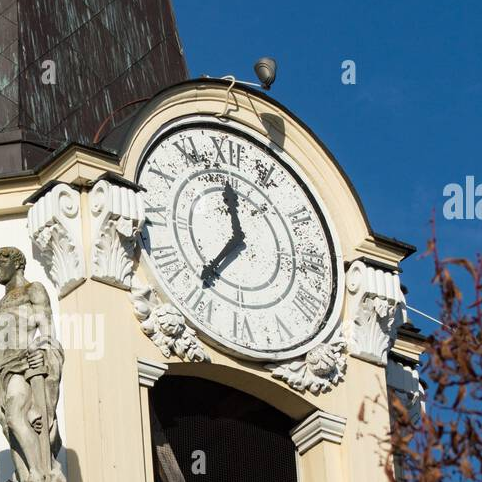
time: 11:36
